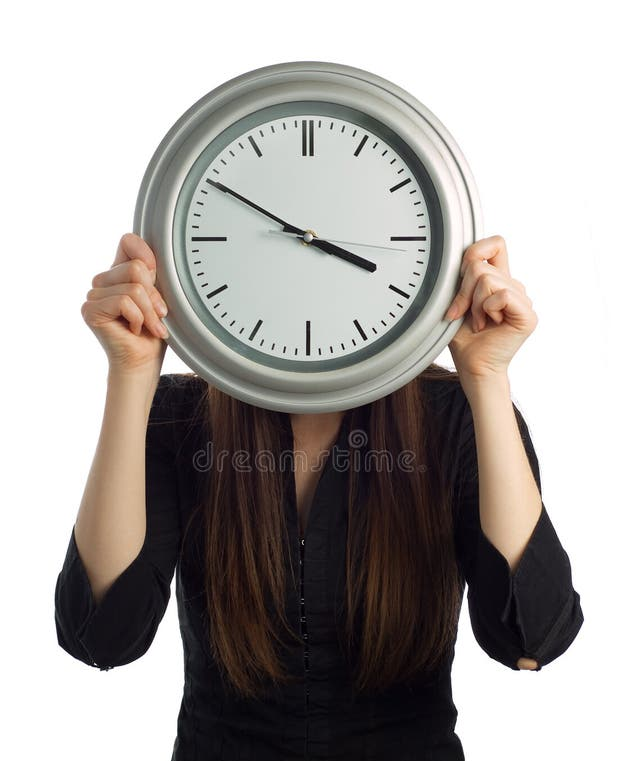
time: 3:50
